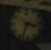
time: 3:33
